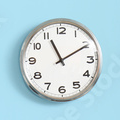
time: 11:10
